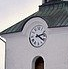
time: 4:12
